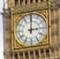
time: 3:00
